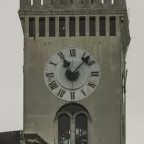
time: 11:07
